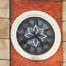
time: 4:40
